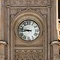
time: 8:47
